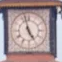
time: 4:57
